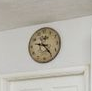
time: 9:23
